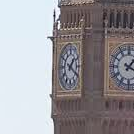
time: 1:20
